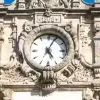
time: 5:04
